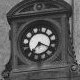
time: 7:18
